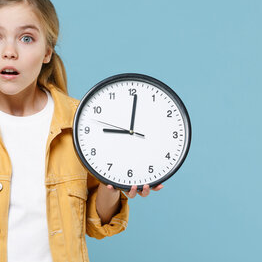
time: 9:00
